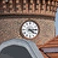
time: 4:13
